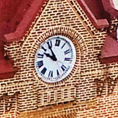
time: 9:54
